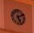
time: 5:11
